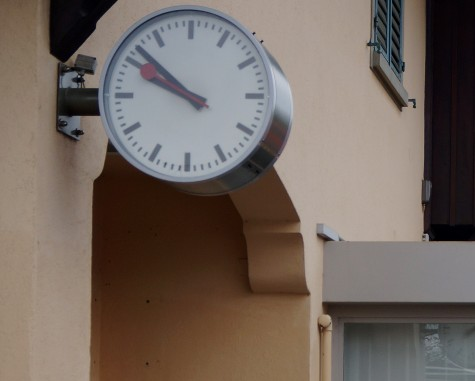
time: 9:51
